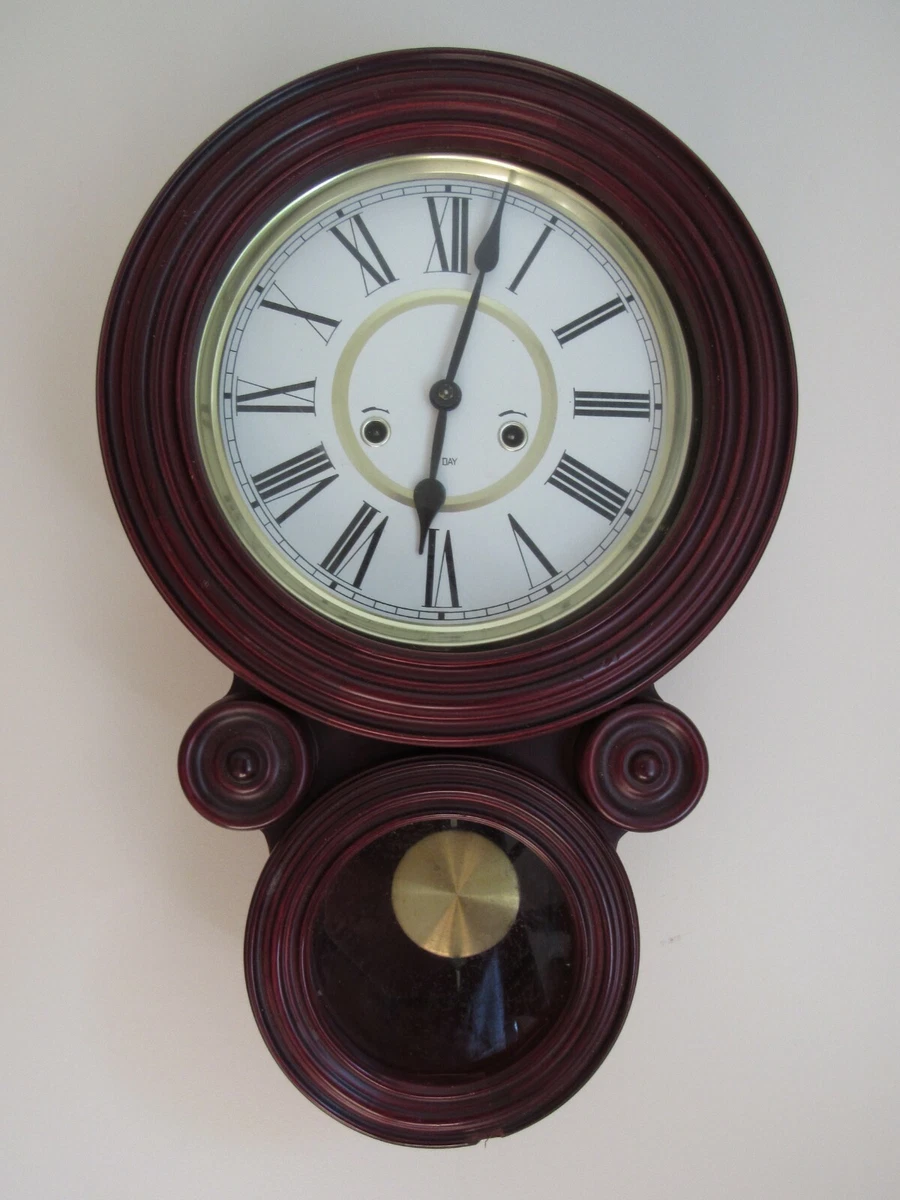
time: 6:02
